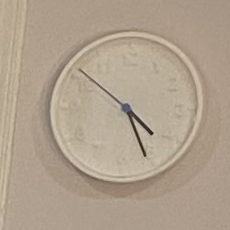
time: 4:25
